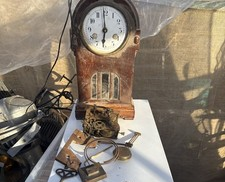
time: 5:59
